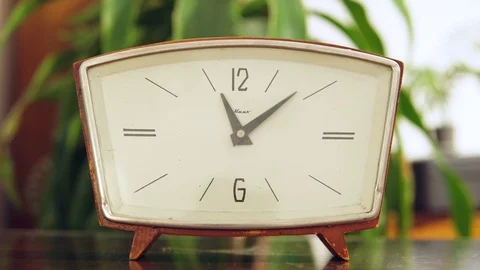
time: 11:07
